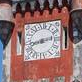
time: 2:42
